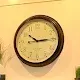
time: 10:14
